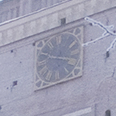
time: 3:49
